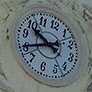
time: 9:40
